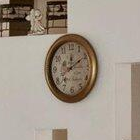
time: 12:09
